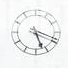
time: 5:18
